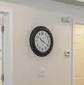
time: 10:19
